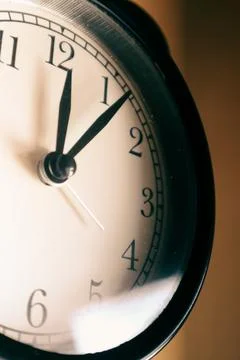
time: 12:07
